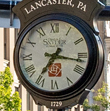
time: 7:16
